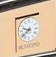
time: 9:38
